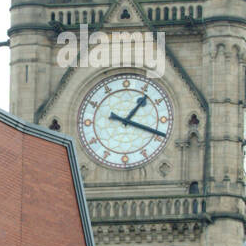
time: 1:18
